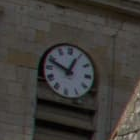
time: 12:48
